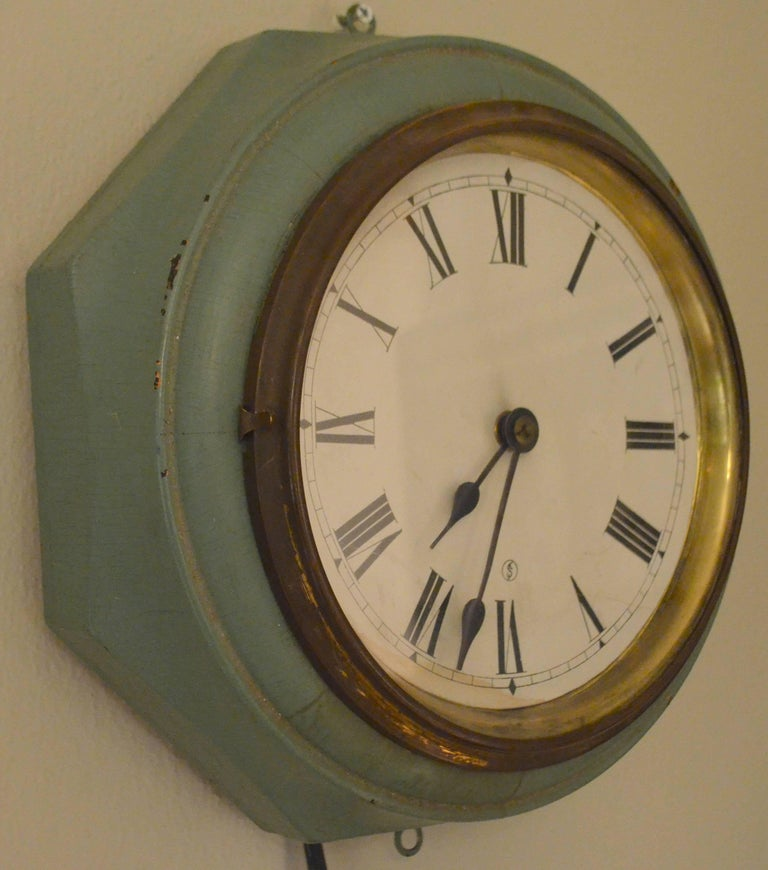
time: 7:32
